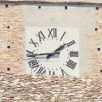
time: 1:44
